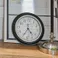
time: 4:34
